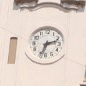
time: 2:33
